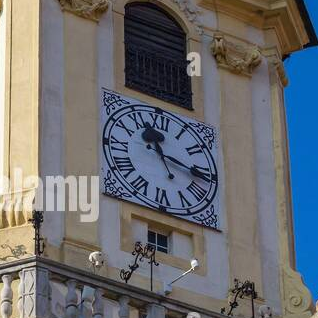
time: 11:16
